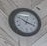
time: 3:51
